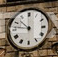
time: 11:46
